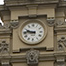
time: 9:45
